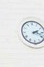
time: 2:18
